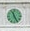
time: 11:25
